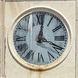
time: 12:18
